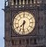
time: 7:31
